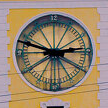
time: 2:48
